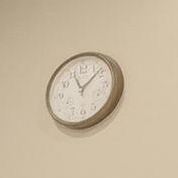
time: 11:07
